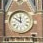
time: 11:50
